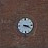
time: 3:19
